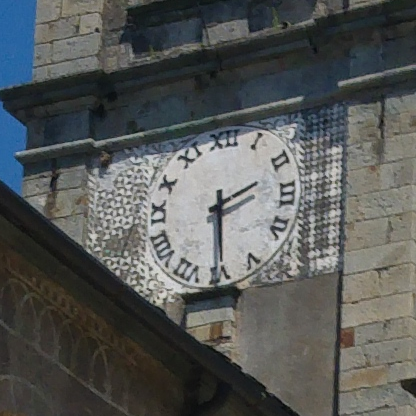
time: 2:29
